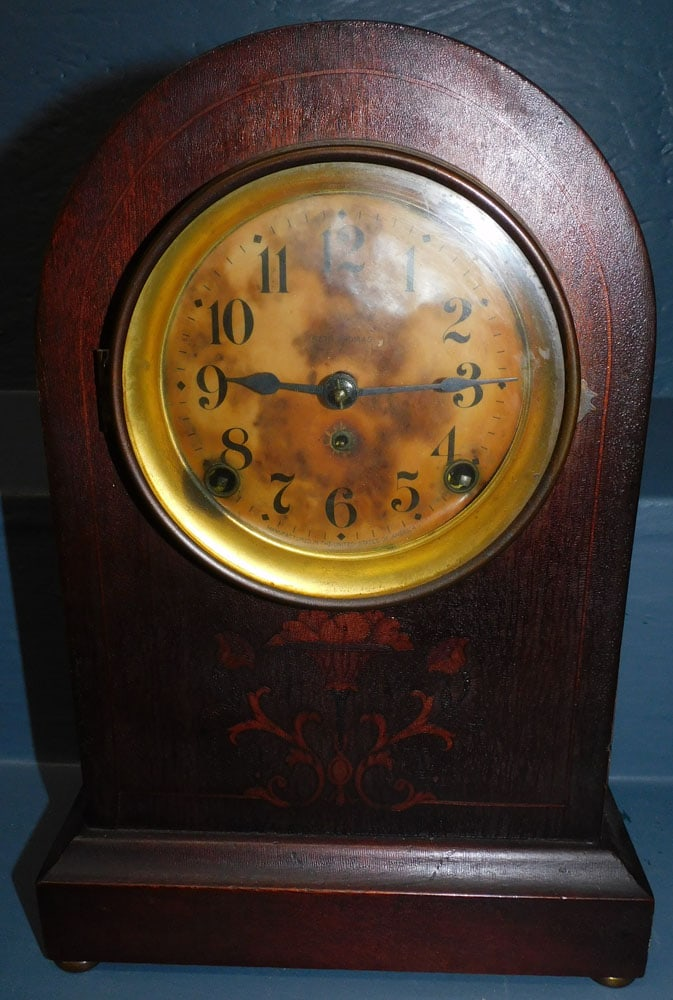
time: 9:15
